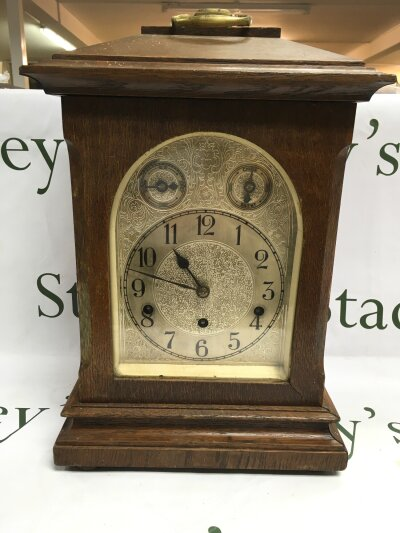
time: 10:45
